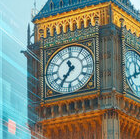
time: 11:35
